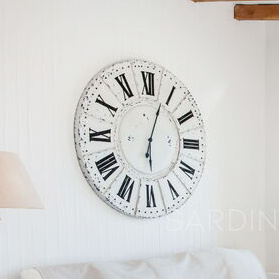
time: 6:03
